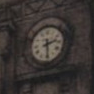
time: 2:29
